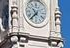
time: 10:37
